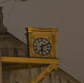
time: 6:10
